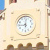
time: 9:01
